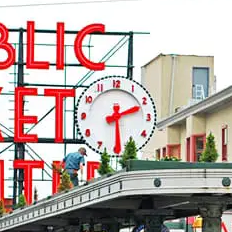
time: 2:29
